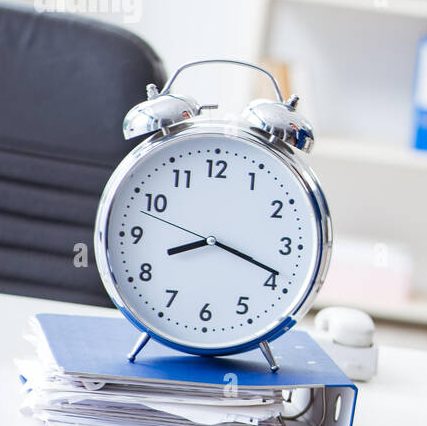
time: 8:18
